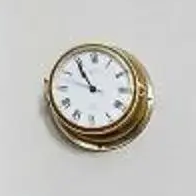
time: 10:54
